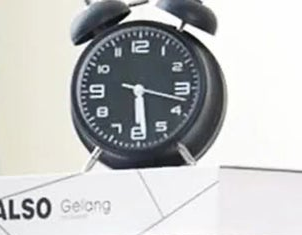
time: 3:29
